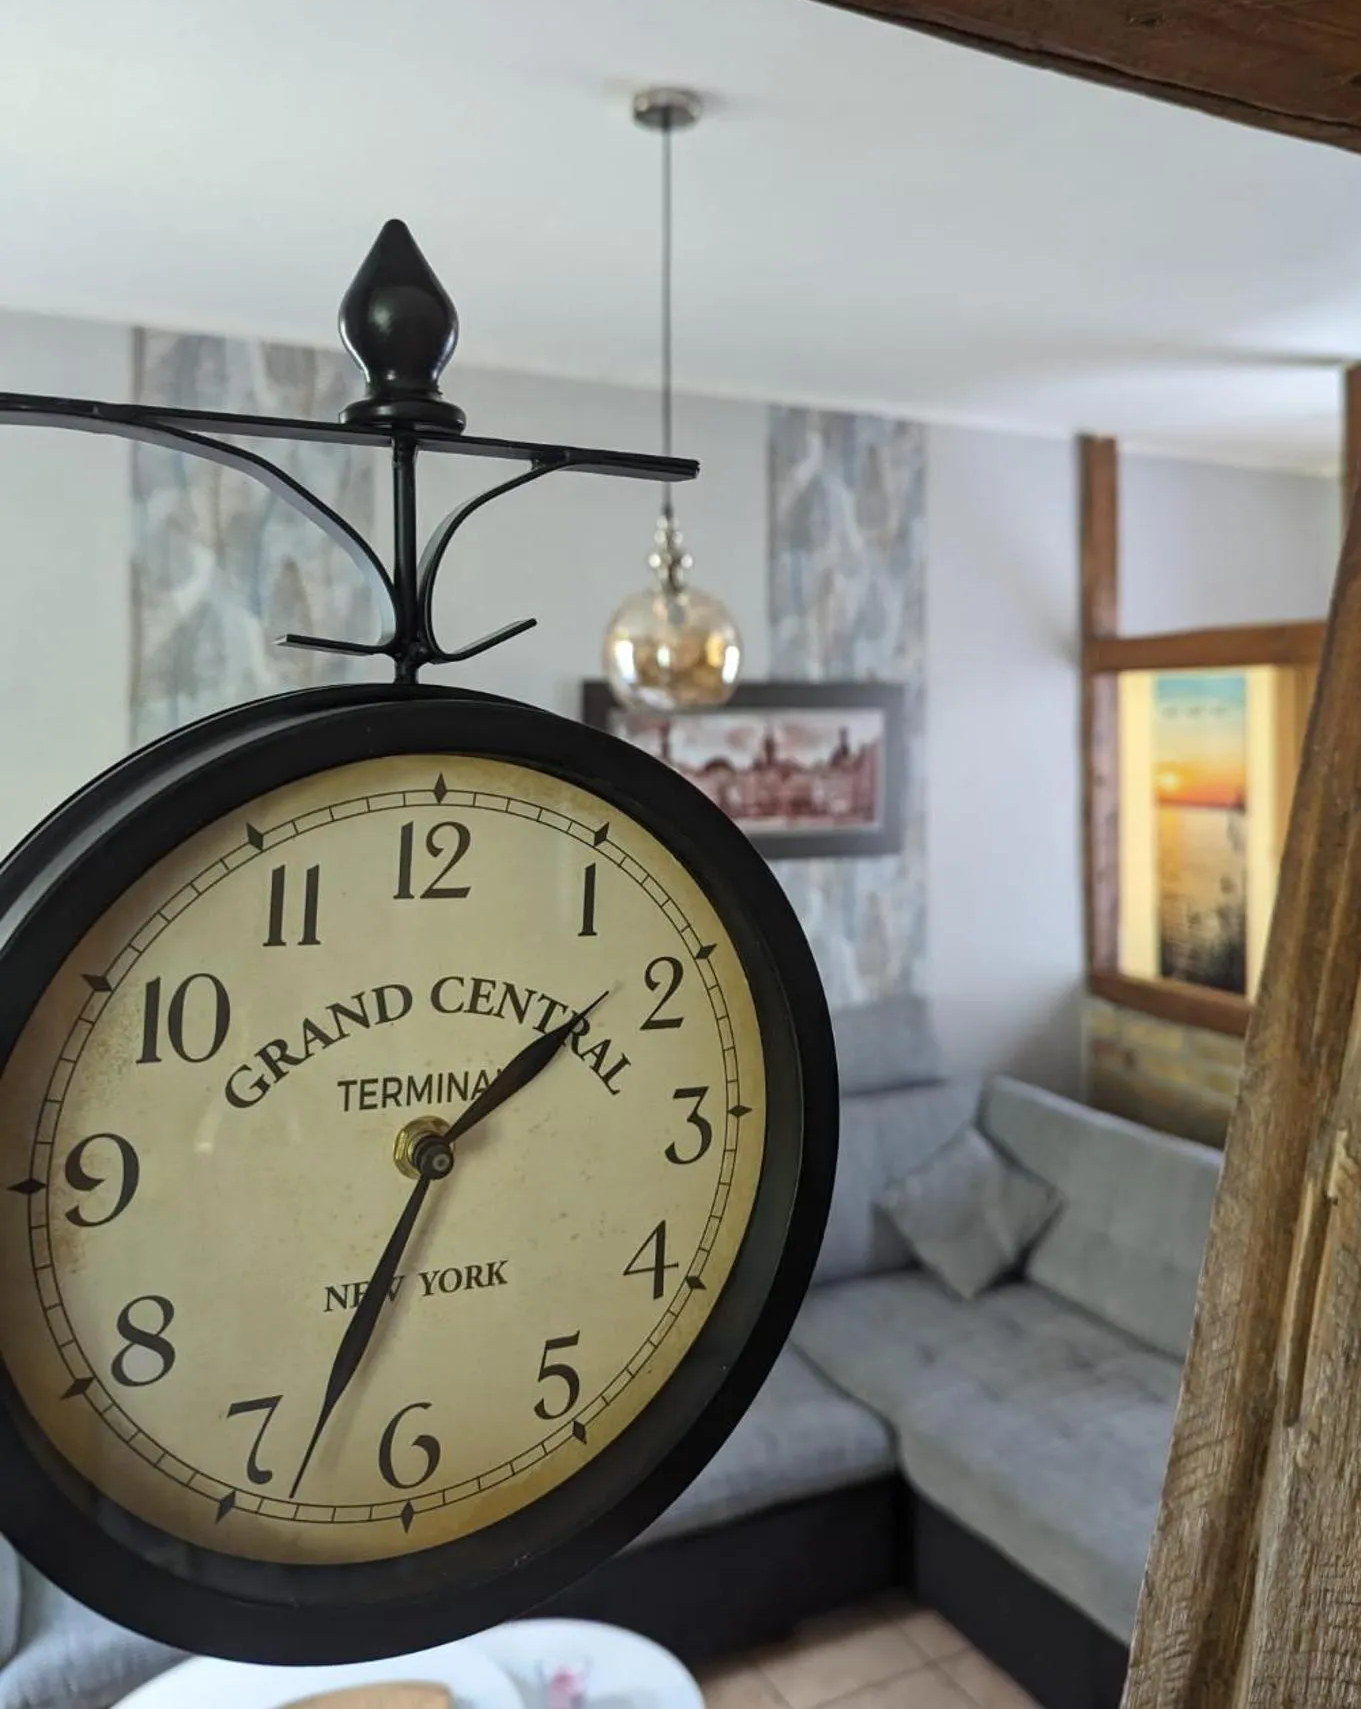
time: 1:33
